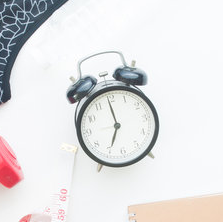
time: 6:59
